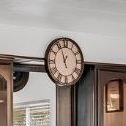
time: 12:56
